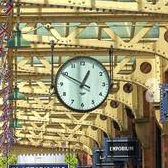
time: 12:49
